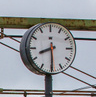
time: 8:29
